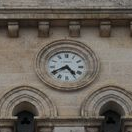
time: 4:40
